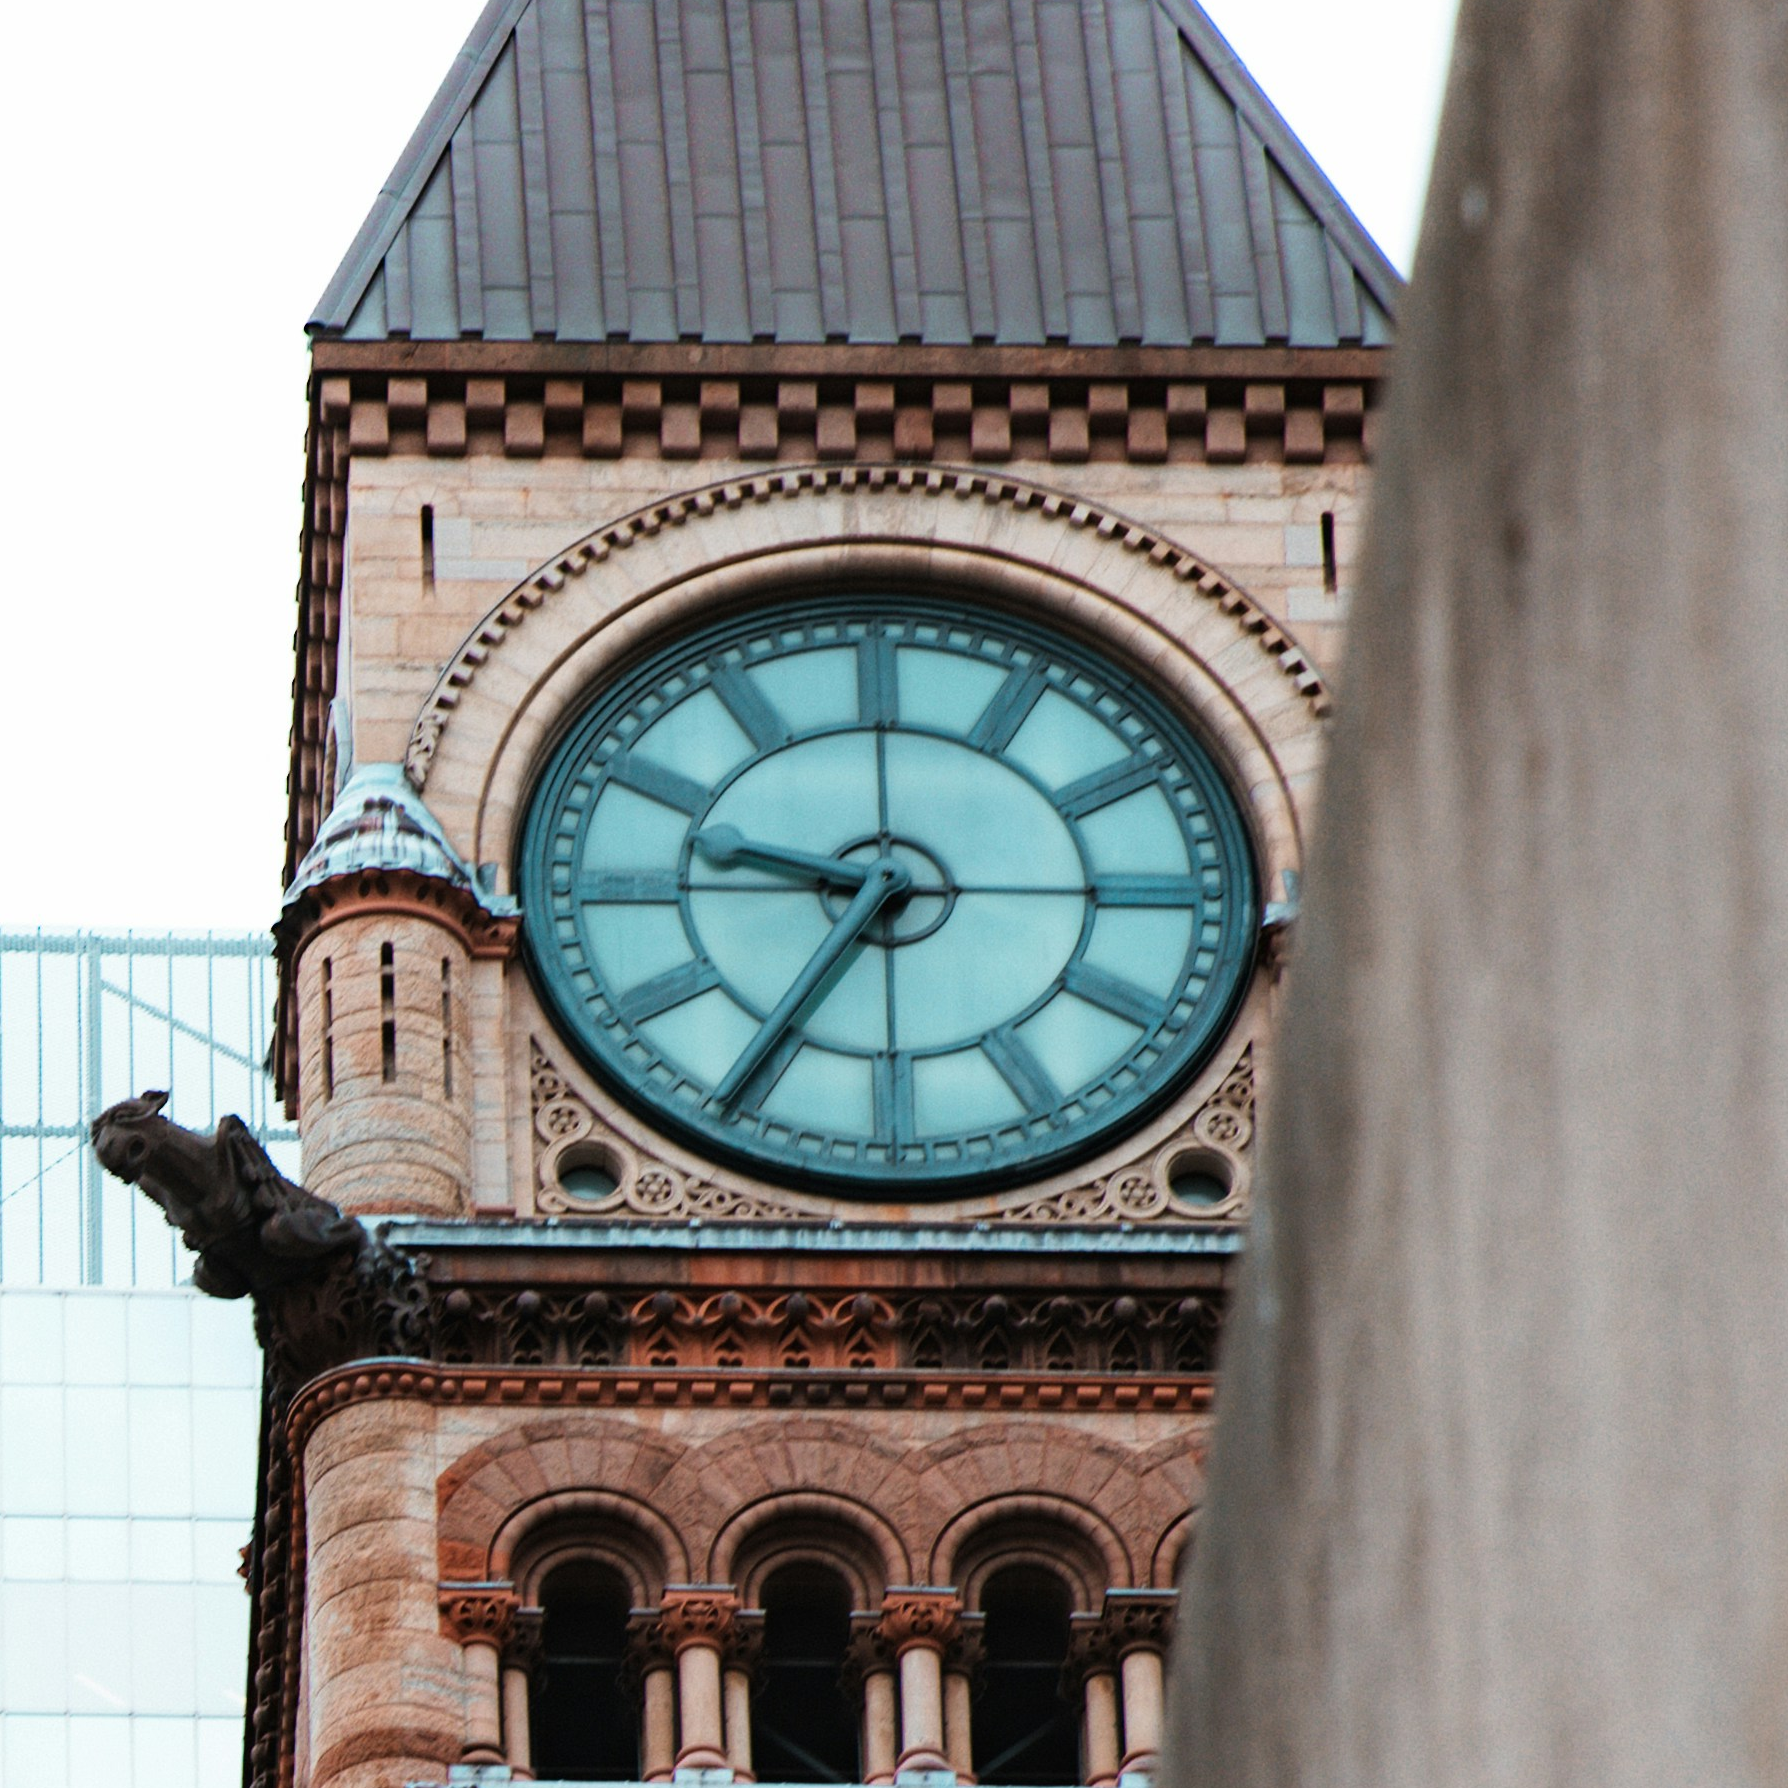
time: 9:35
